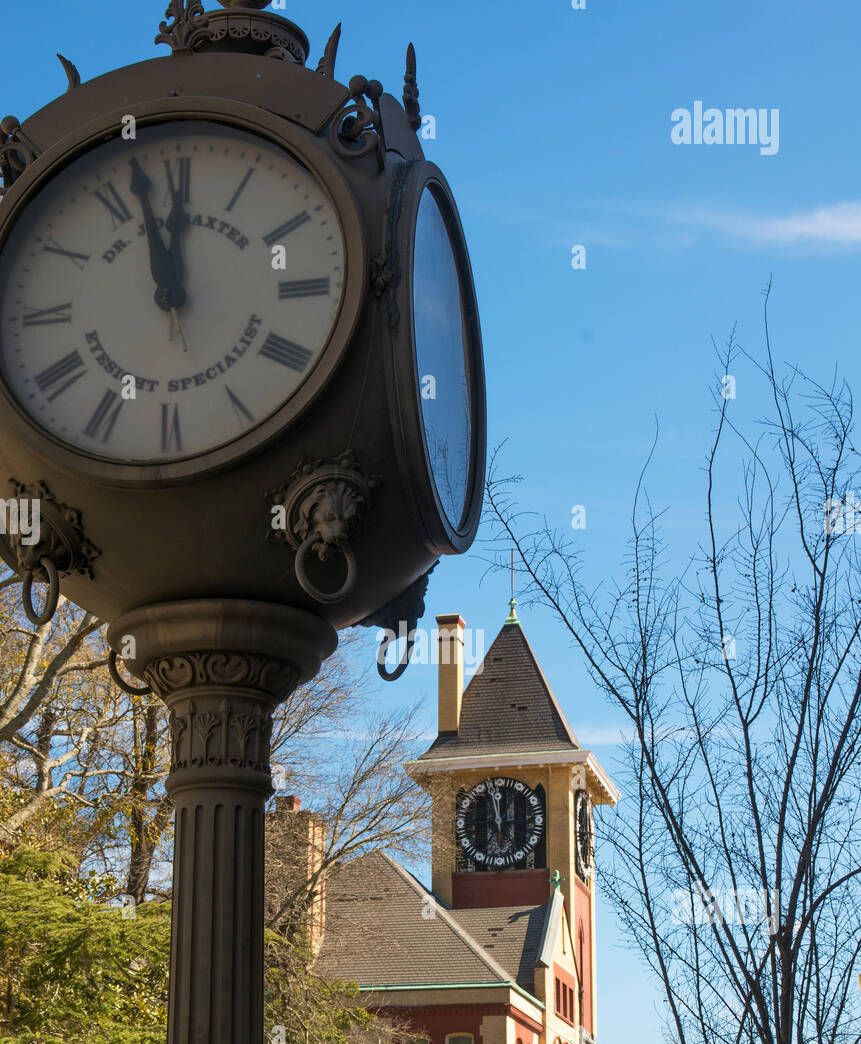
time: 11:56
